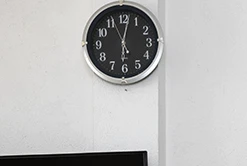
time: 6:02
